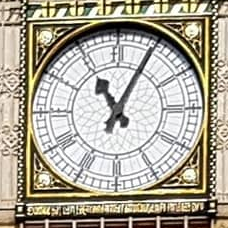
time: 11:04
